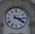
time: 3:20
